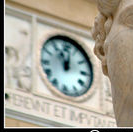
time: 11:02
